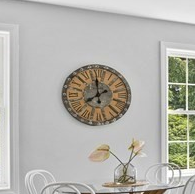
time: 7:59
